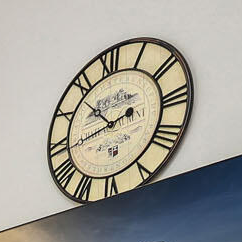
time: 10:43
